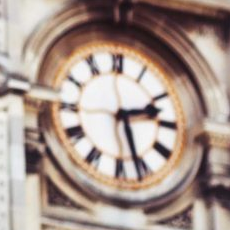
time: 2:26
